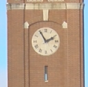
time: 1:55
